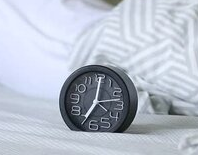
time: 7:00
